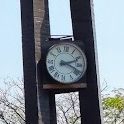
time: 2:18
